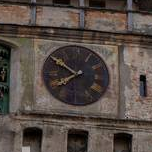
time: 7:50
